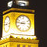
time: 8:46
